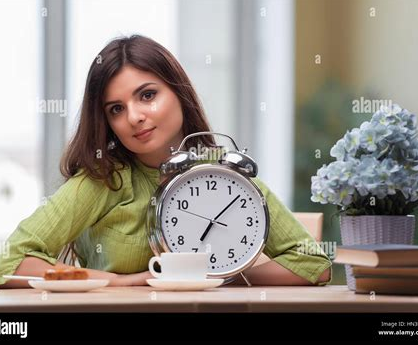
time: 7:08
